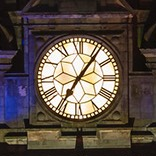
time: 7:06
